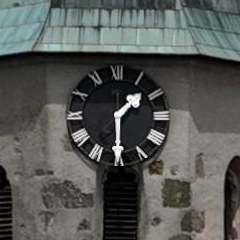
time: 1:30
